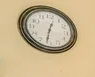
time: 12:31
